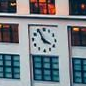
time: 3:55
